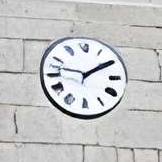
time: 1:46
